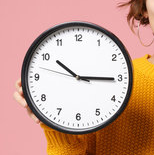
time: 10:15
